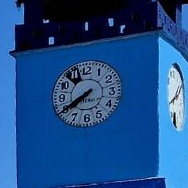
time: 7:40
